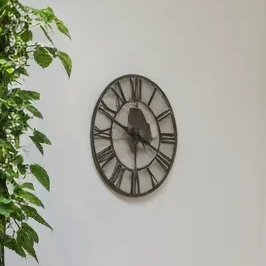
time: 3:48
